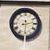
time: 2:29
